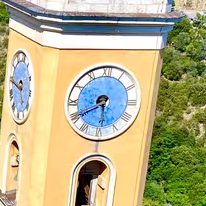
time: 5:40
